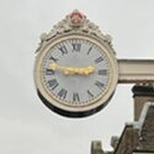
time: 2:46
